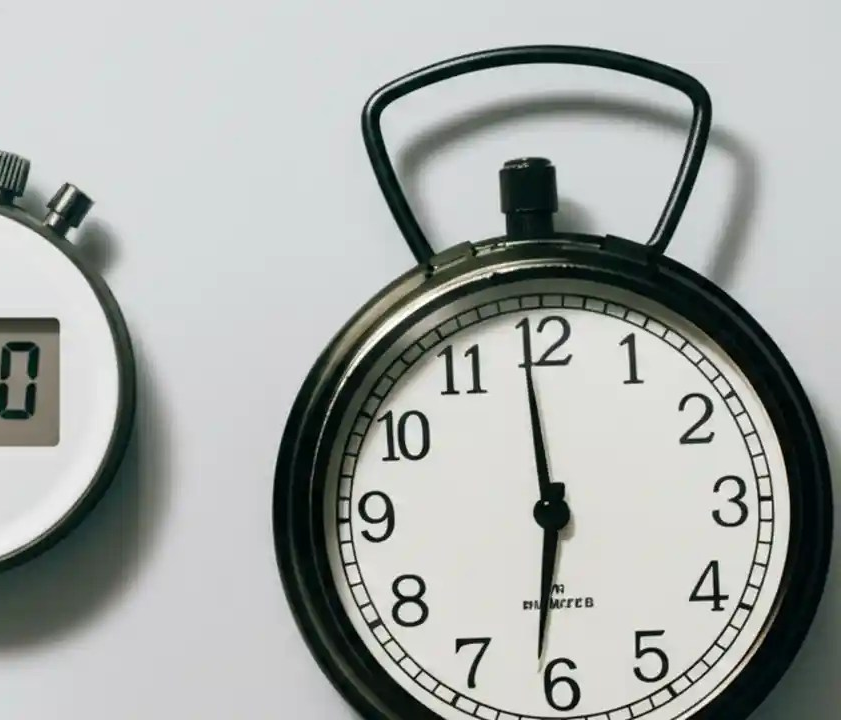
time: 5:59
